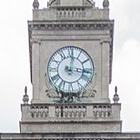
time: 12:16
